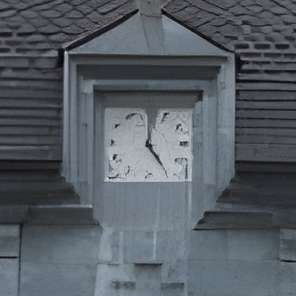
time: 5:00
